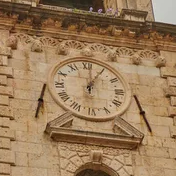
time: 1:01
